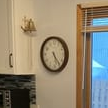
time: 5:23
